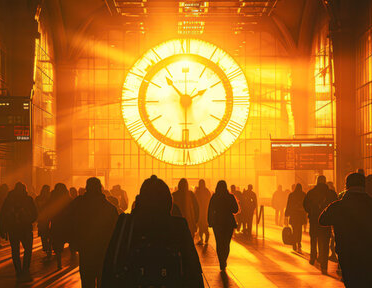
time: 1:53
